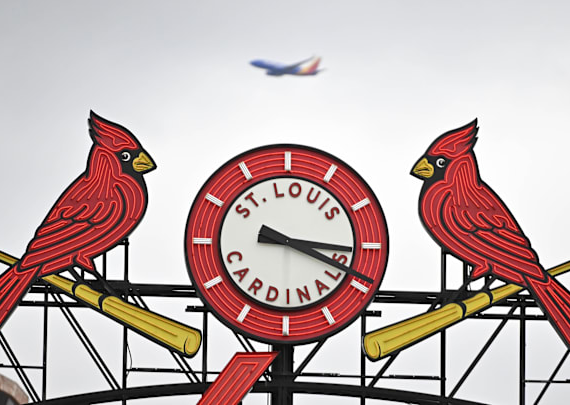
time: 3:18
